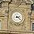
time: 3:22
